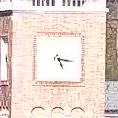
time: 5:16
